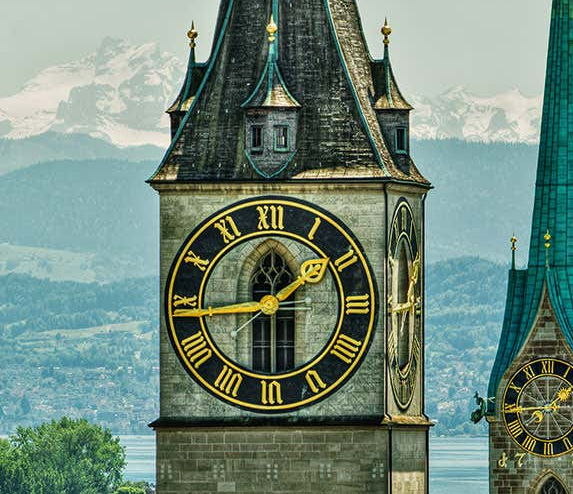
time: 1:43
